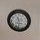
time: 11:32
